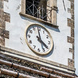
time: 3:58
